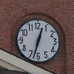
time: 12:32
